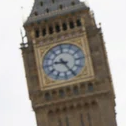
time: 9:25
